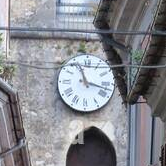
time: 11:17
